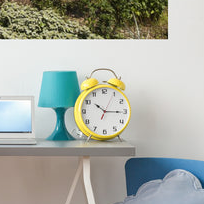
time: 10:15
